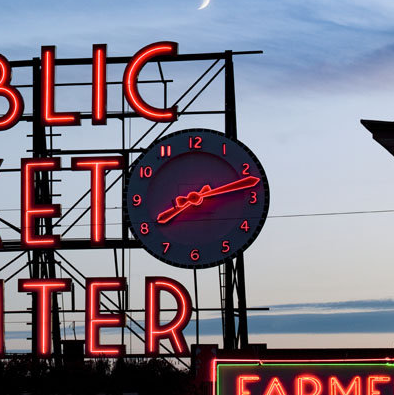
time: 8:13
